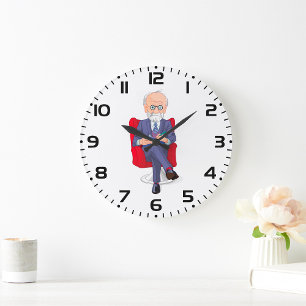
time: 5:49
